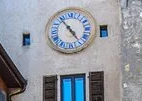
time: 4:54
